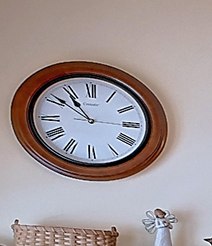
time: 10:51
